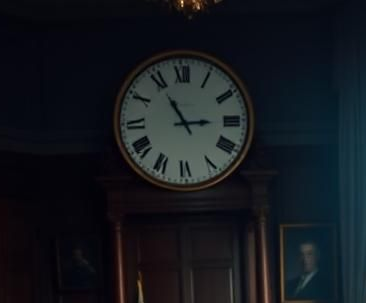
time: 2:54
